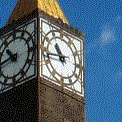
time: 10:43
